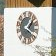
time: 1:20
